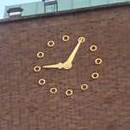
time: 9:05
